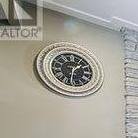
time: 1:32
